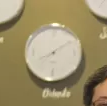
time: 8:09
